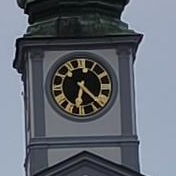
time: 6:21
